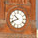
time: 10:41
